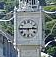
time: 2:45
